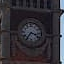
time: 3:35
